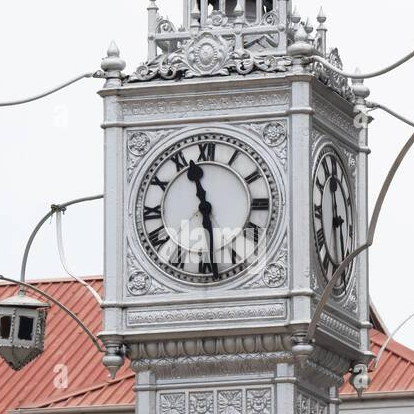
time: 11:28
